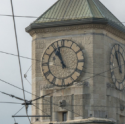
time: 10:56
